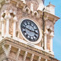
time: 2:46
